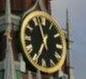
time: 11:34
